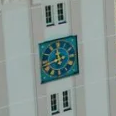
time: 11:42
